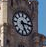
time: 5:14
